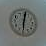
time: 6:01
